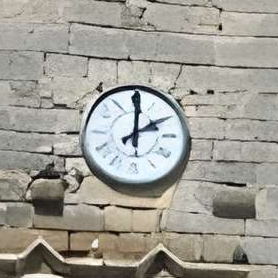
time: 2:00
